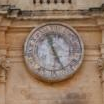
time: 11:25
